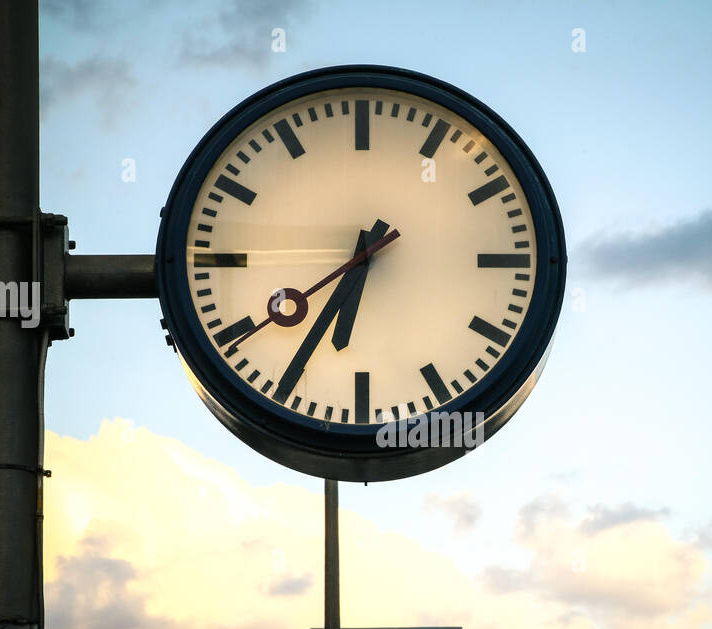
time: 6:35
